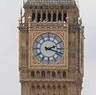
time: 2:18
